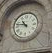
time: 10:47
